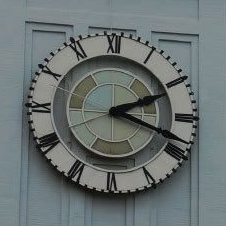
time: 2:18
